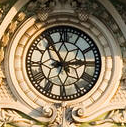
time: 2:54
